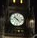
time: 10:22
